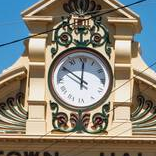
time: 10:00
